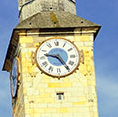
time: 9:24
